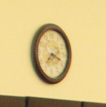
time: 7:18
